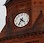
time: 4:35
